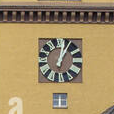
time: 1:02
